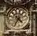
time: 4:35
